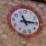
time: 11:14
